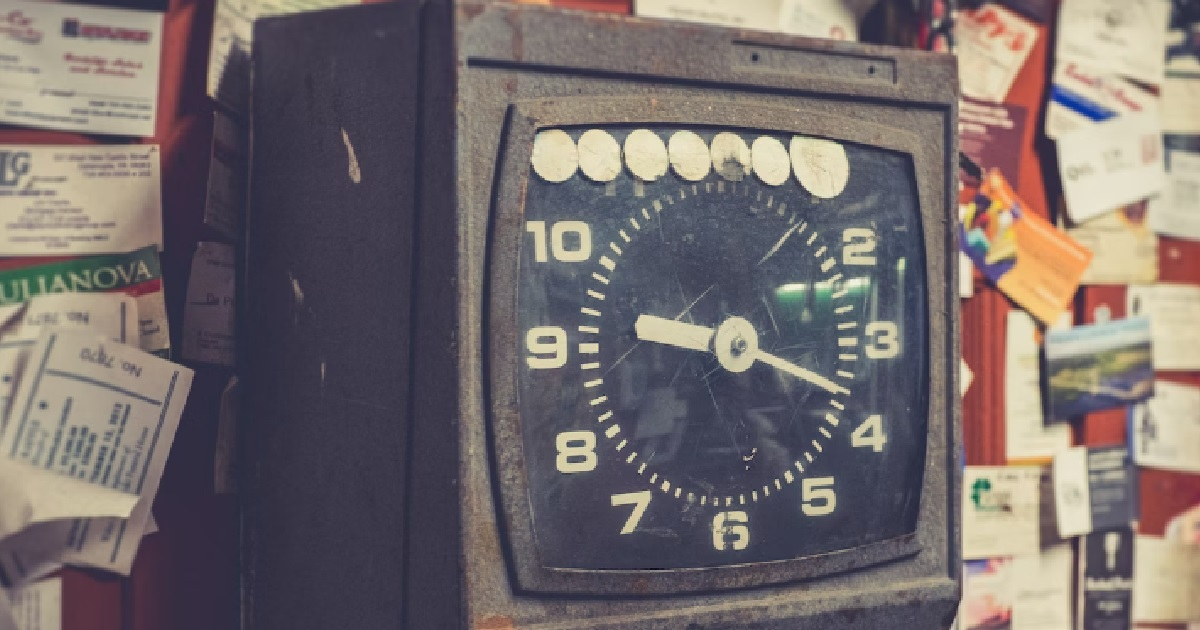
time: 9:18
